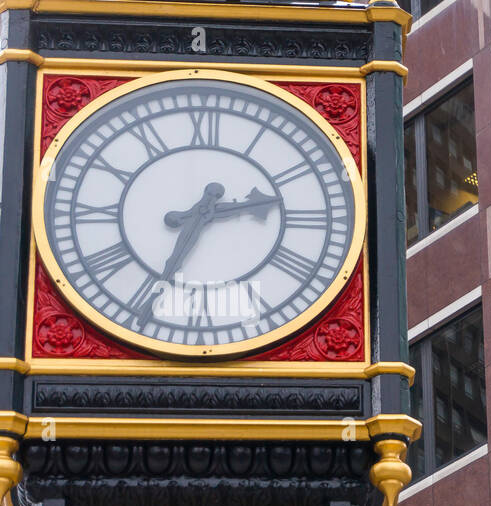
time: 2:34
